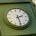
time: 2:29
